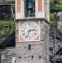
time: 2:33
